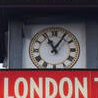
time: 11:05
